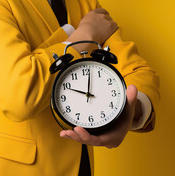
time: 10:01
